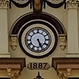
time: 5:26
